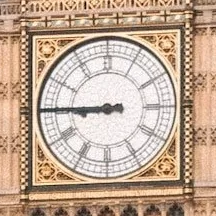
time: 8:45
